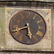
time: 5:41
